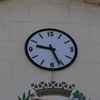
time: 9:26
